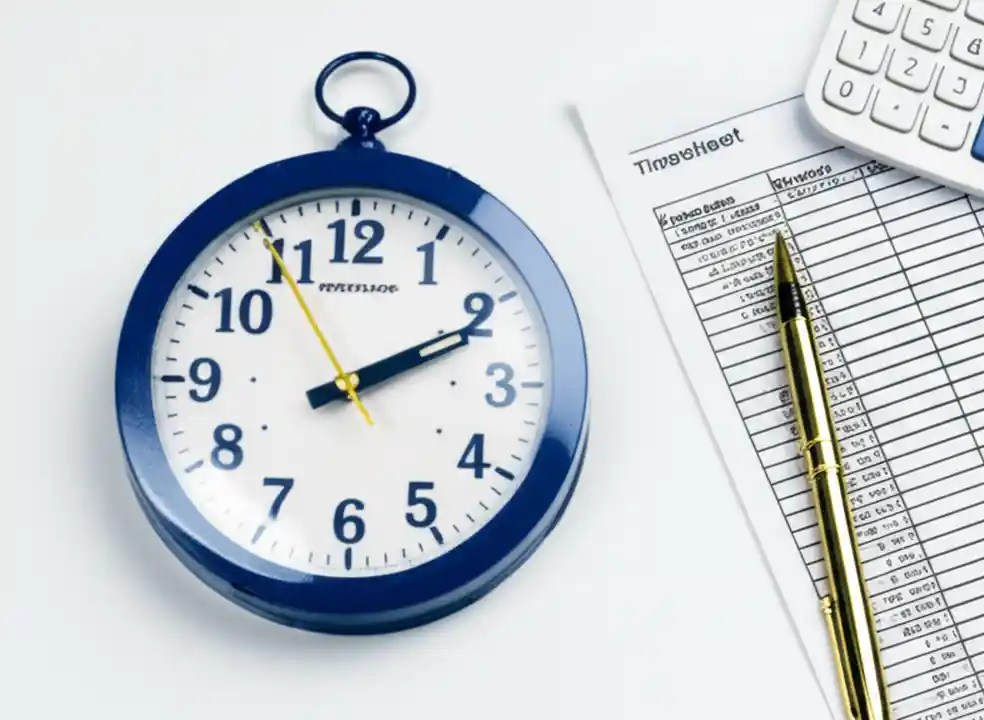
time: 2:10
